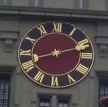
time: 8:12
